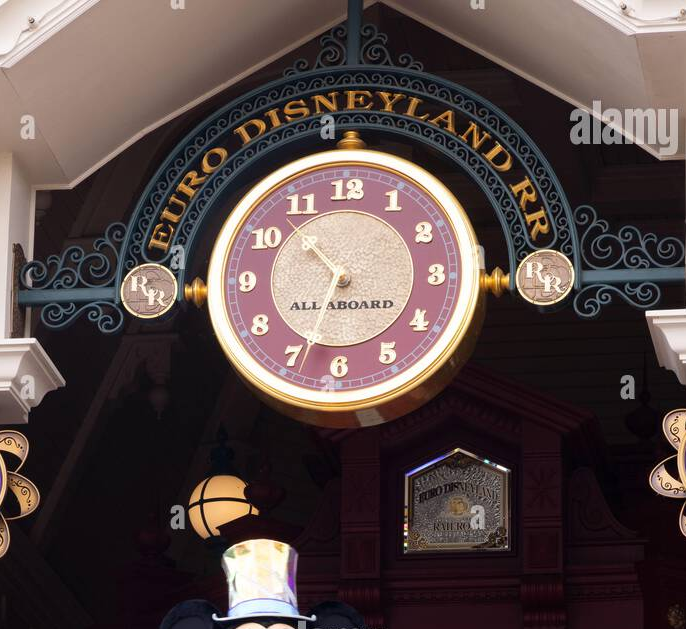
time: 10:33
